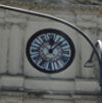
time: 12:07
